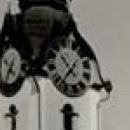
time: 10:36
